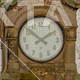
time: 1:51
